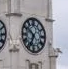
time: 6:50
